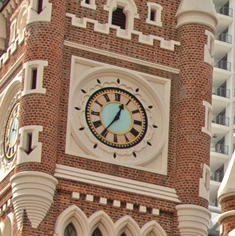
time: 12:35
